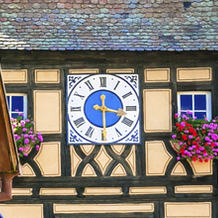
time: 12:17
